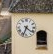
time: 4:33
